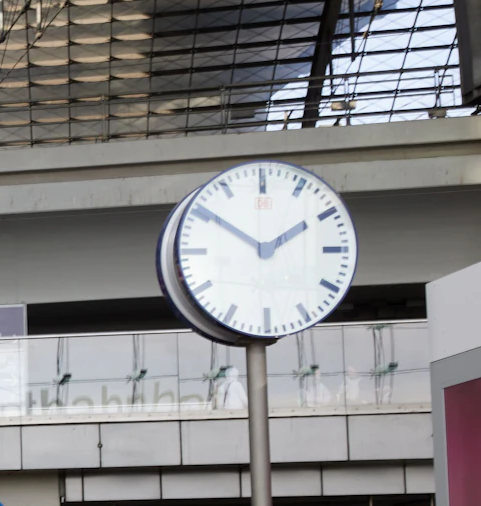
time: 1:50
